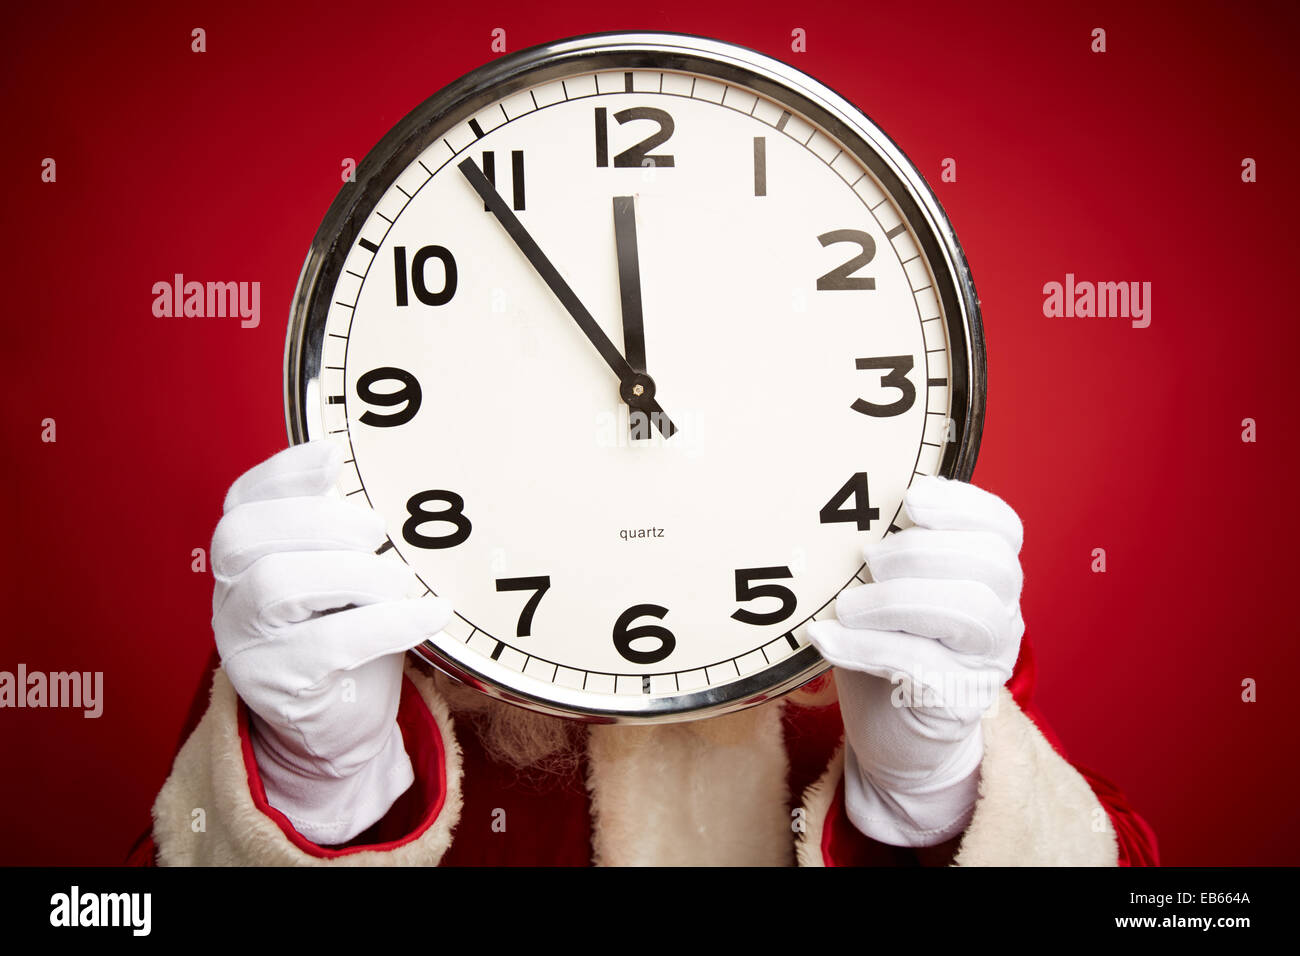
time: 11:53
